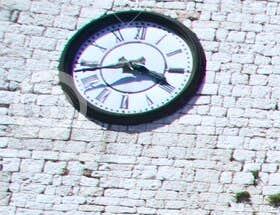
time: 3:43
